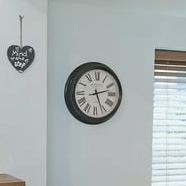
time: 2:26
